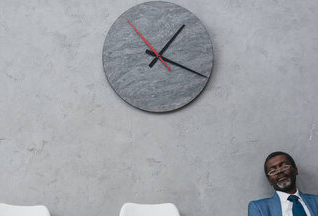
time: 1:18
